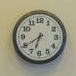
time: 6:39
